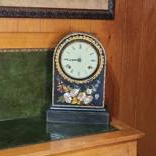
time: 8:45
